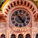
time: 4:52
